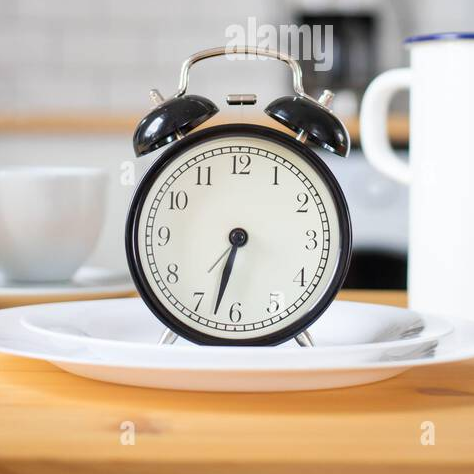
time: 6:32
